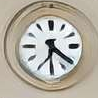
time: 6:21
